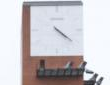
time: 4:21
